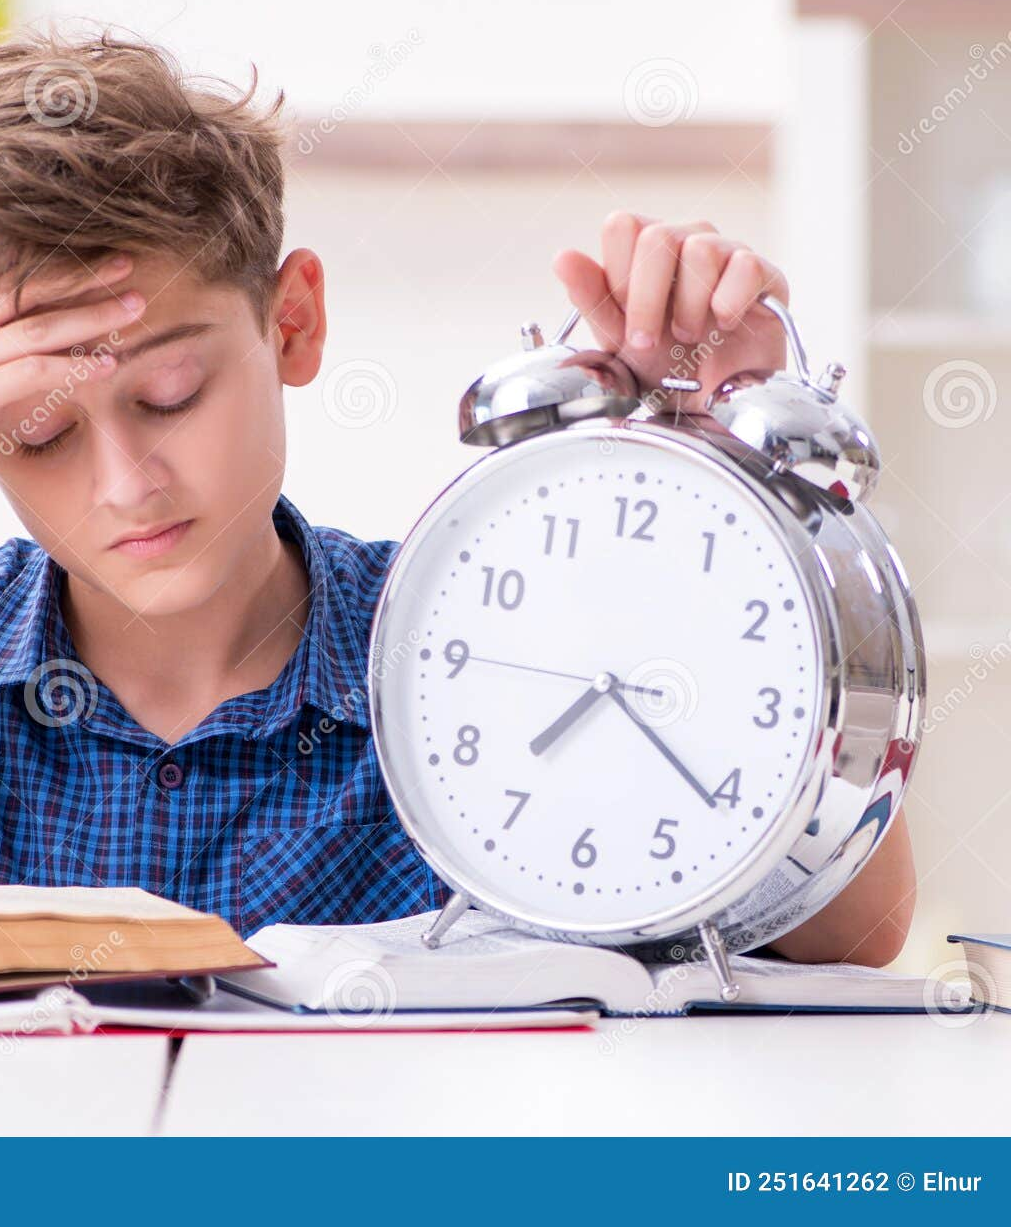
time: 7:21
